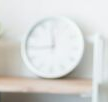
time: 11:44
